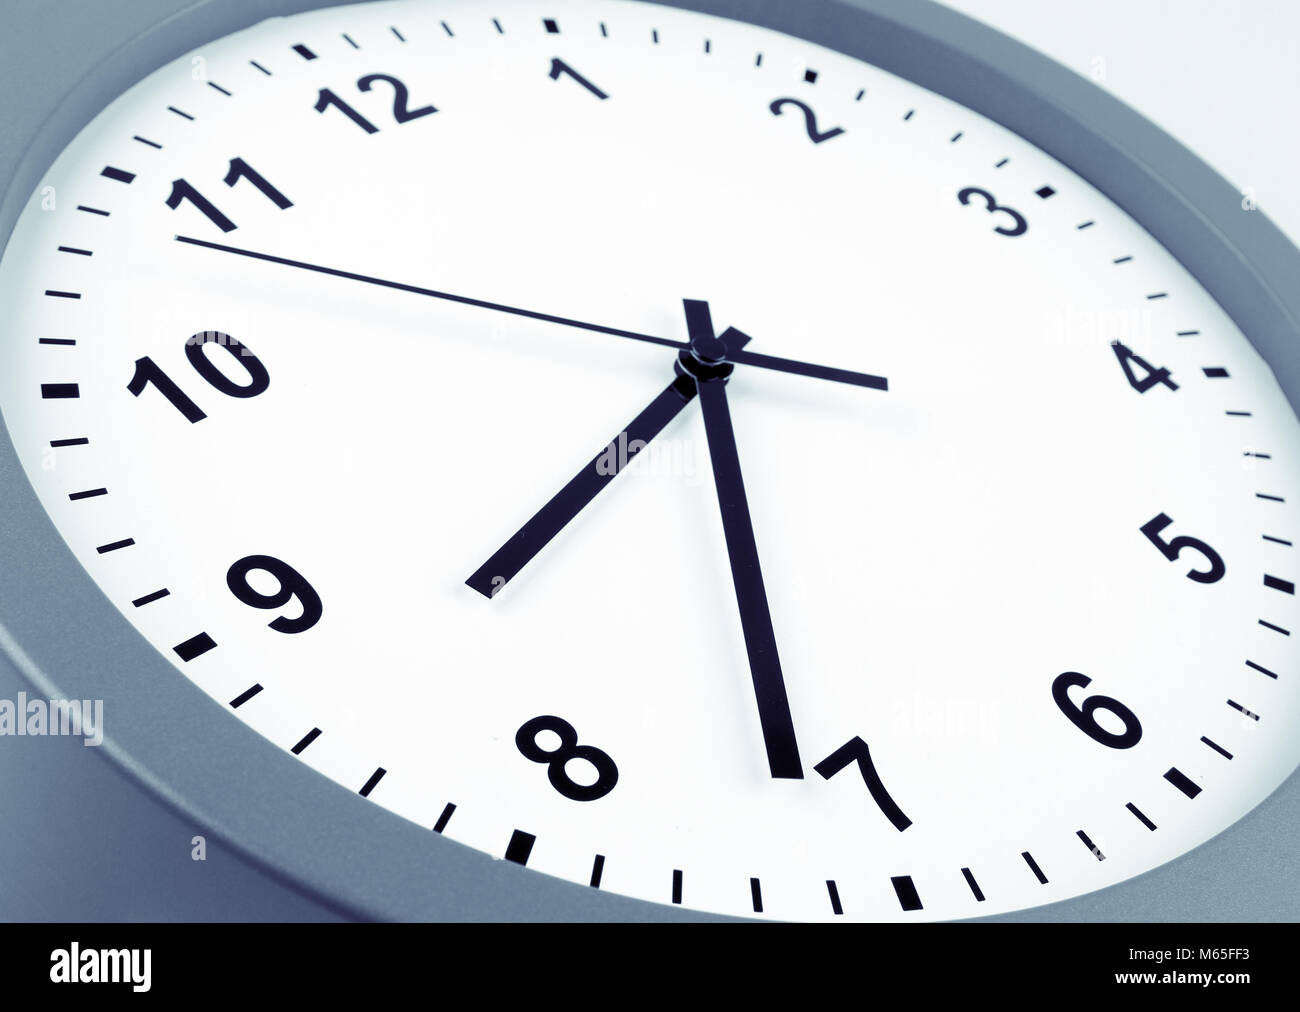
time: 7:31
